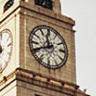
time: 11:40
